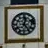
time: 12:23
